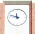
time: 11:47
